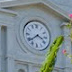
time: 3:38
